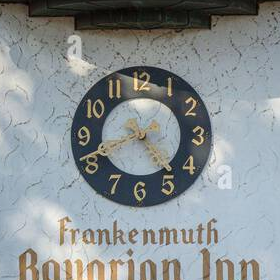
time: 4:41
